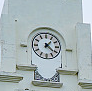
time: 1:21
